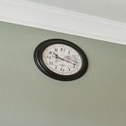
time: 10:17
